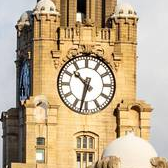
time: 10:32
